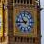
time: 10:43
